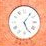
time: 5:06
